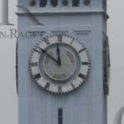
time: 11:51
